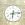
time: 6:13
